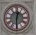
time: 12:30
